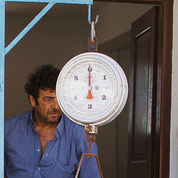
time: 6:00
